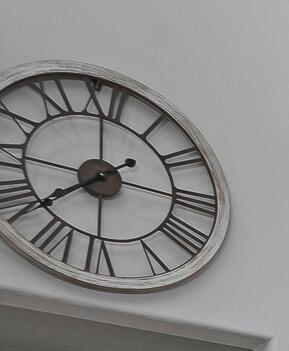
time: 7:38
